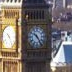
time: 10:24
